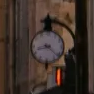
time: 8:22
